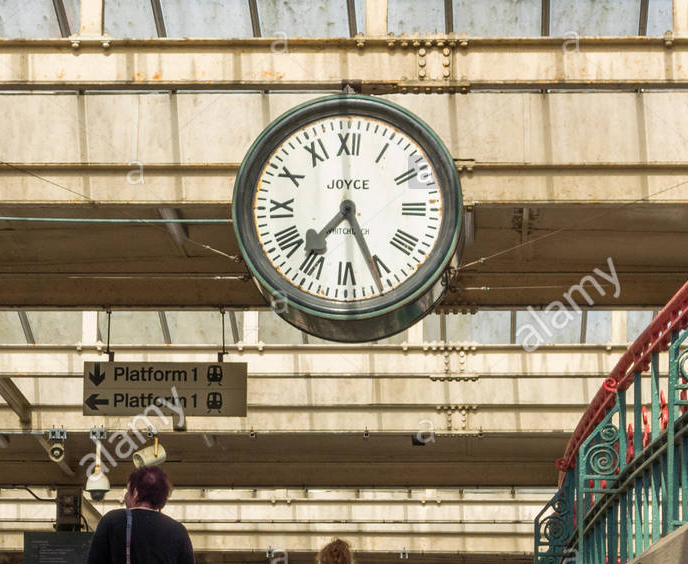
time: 7:25
